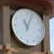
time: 11:03
